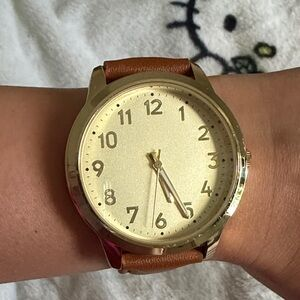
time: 5:25
